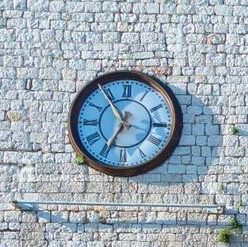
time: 6:54
